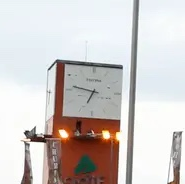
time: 6:46
